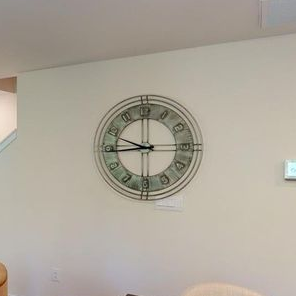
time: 9:44
